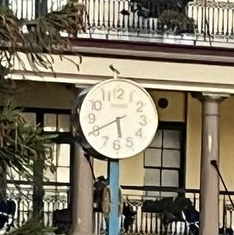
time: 5:40
